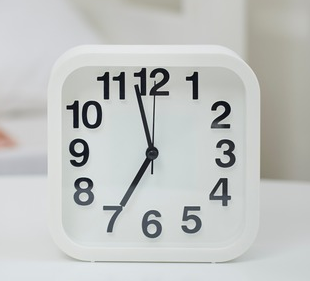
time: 6:57
